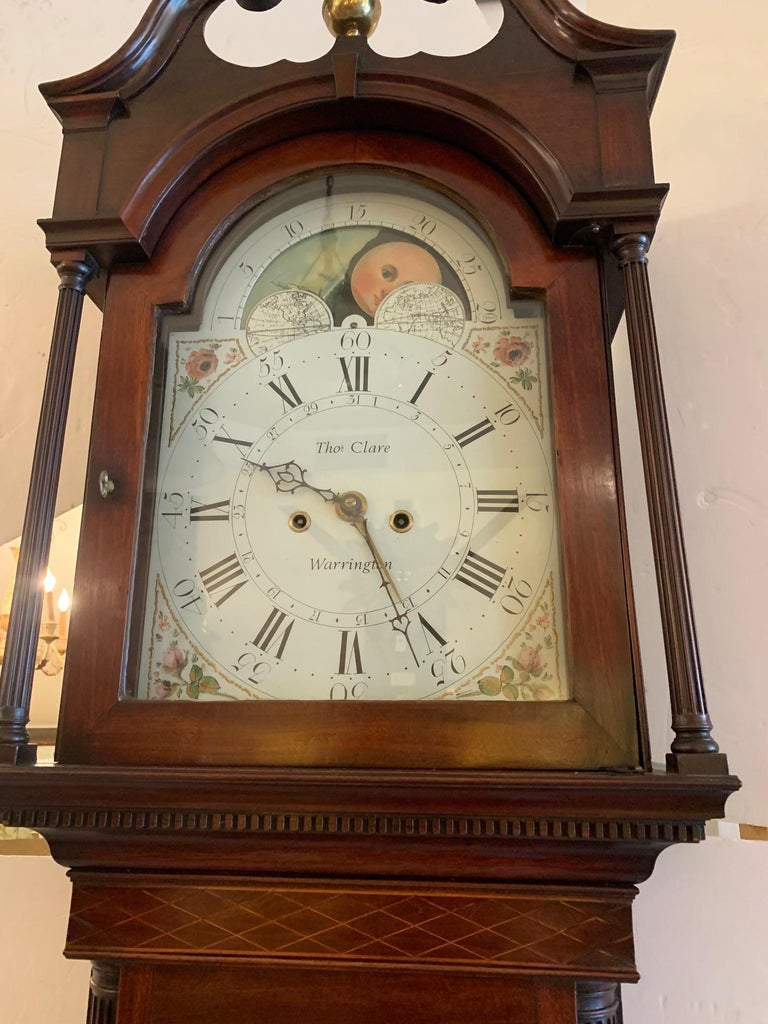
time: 9:25
